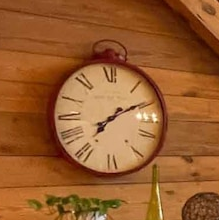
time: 7:10
